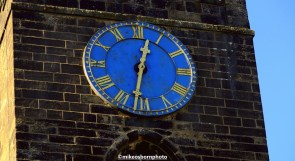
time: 12:31
